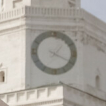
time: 1:18
